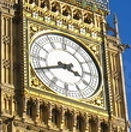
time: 3:40
